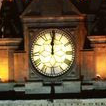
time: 12:00
